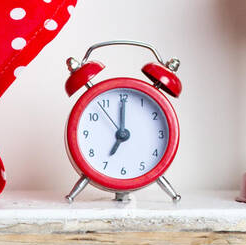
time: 7:00
